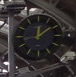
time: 12:09
